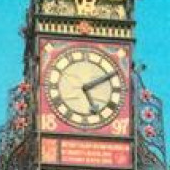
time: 5:10
